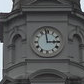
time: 2:58
